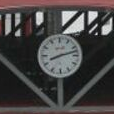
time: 8:12
